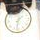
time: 1:32
